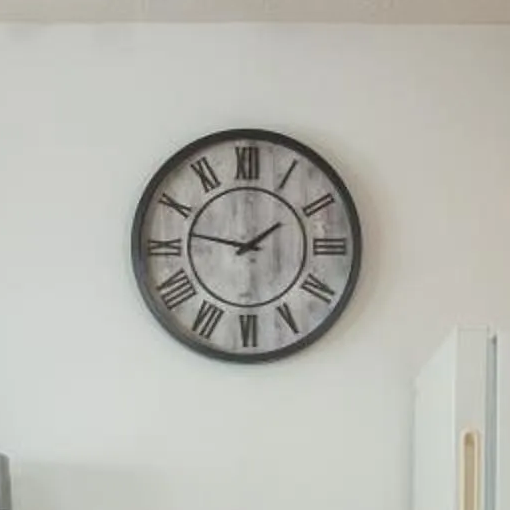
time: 1:46
